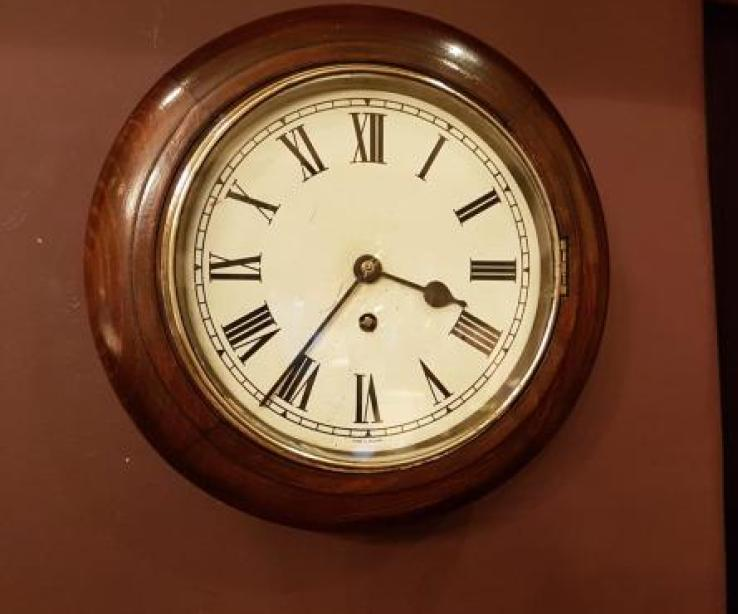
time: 3:36
